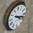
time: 4:17
